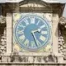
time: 2:26
